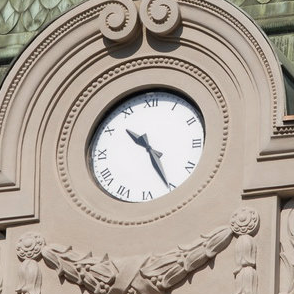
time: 10:25
